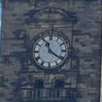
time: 11:21
